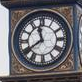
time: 11:39
